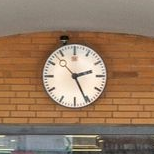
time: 2:25
